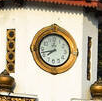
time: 7:42
